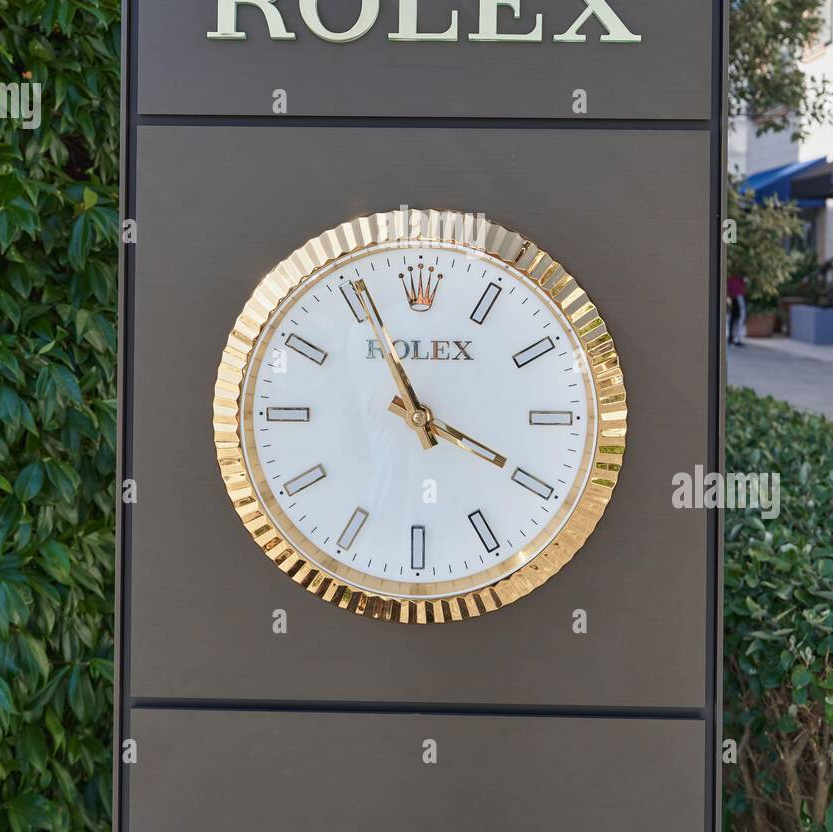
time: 3:55
